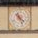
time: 4:26
